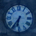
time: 6:36
